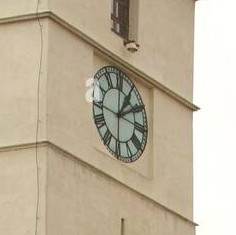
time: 1:09
